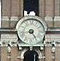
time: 4:42
